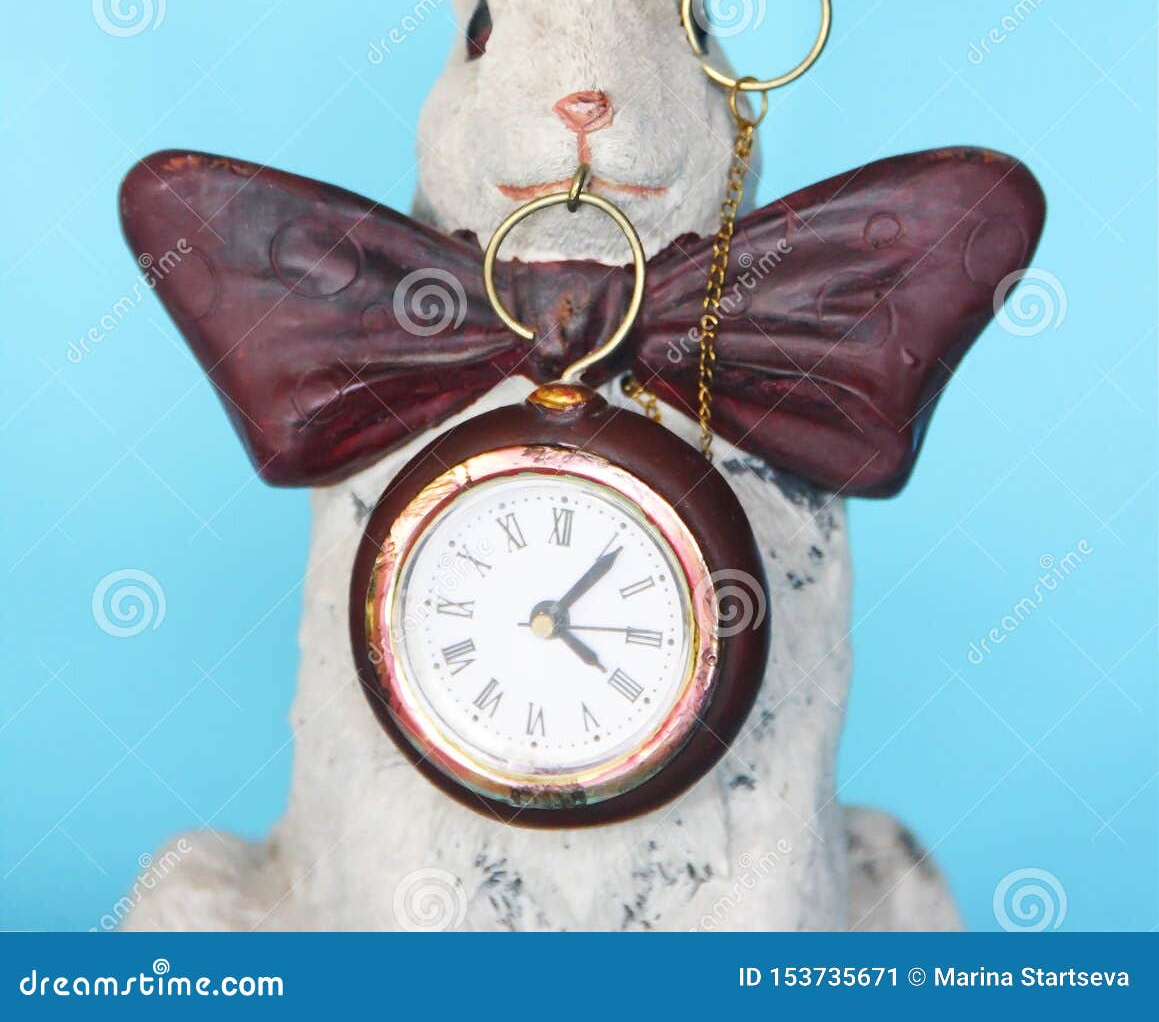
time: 4:06
